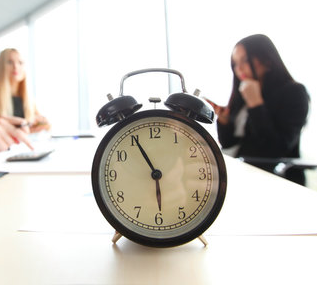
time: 5:55
